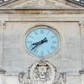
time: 8:38
